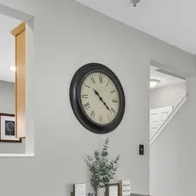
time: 10:21
